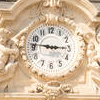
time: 2:46
